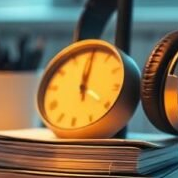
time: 4:00
